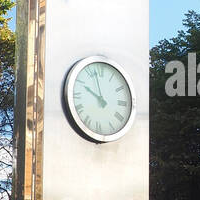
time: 9:57
